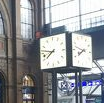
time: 7:46
